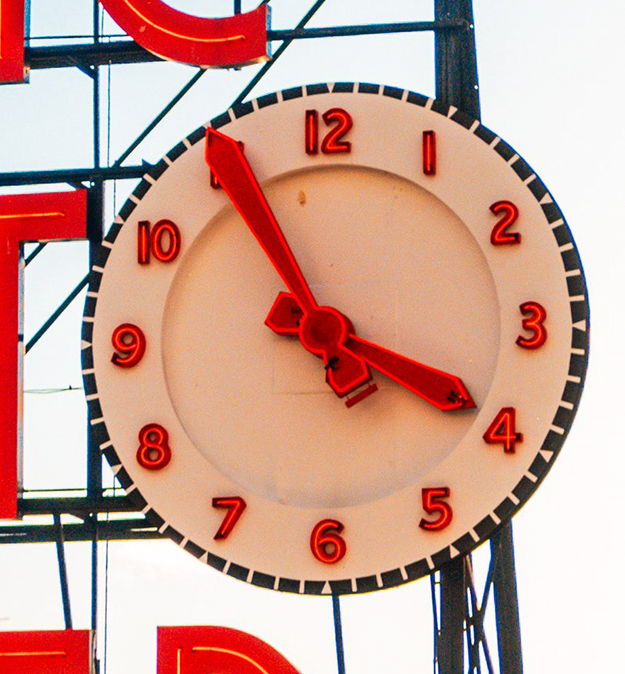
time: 3:54
